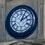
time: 2:04
